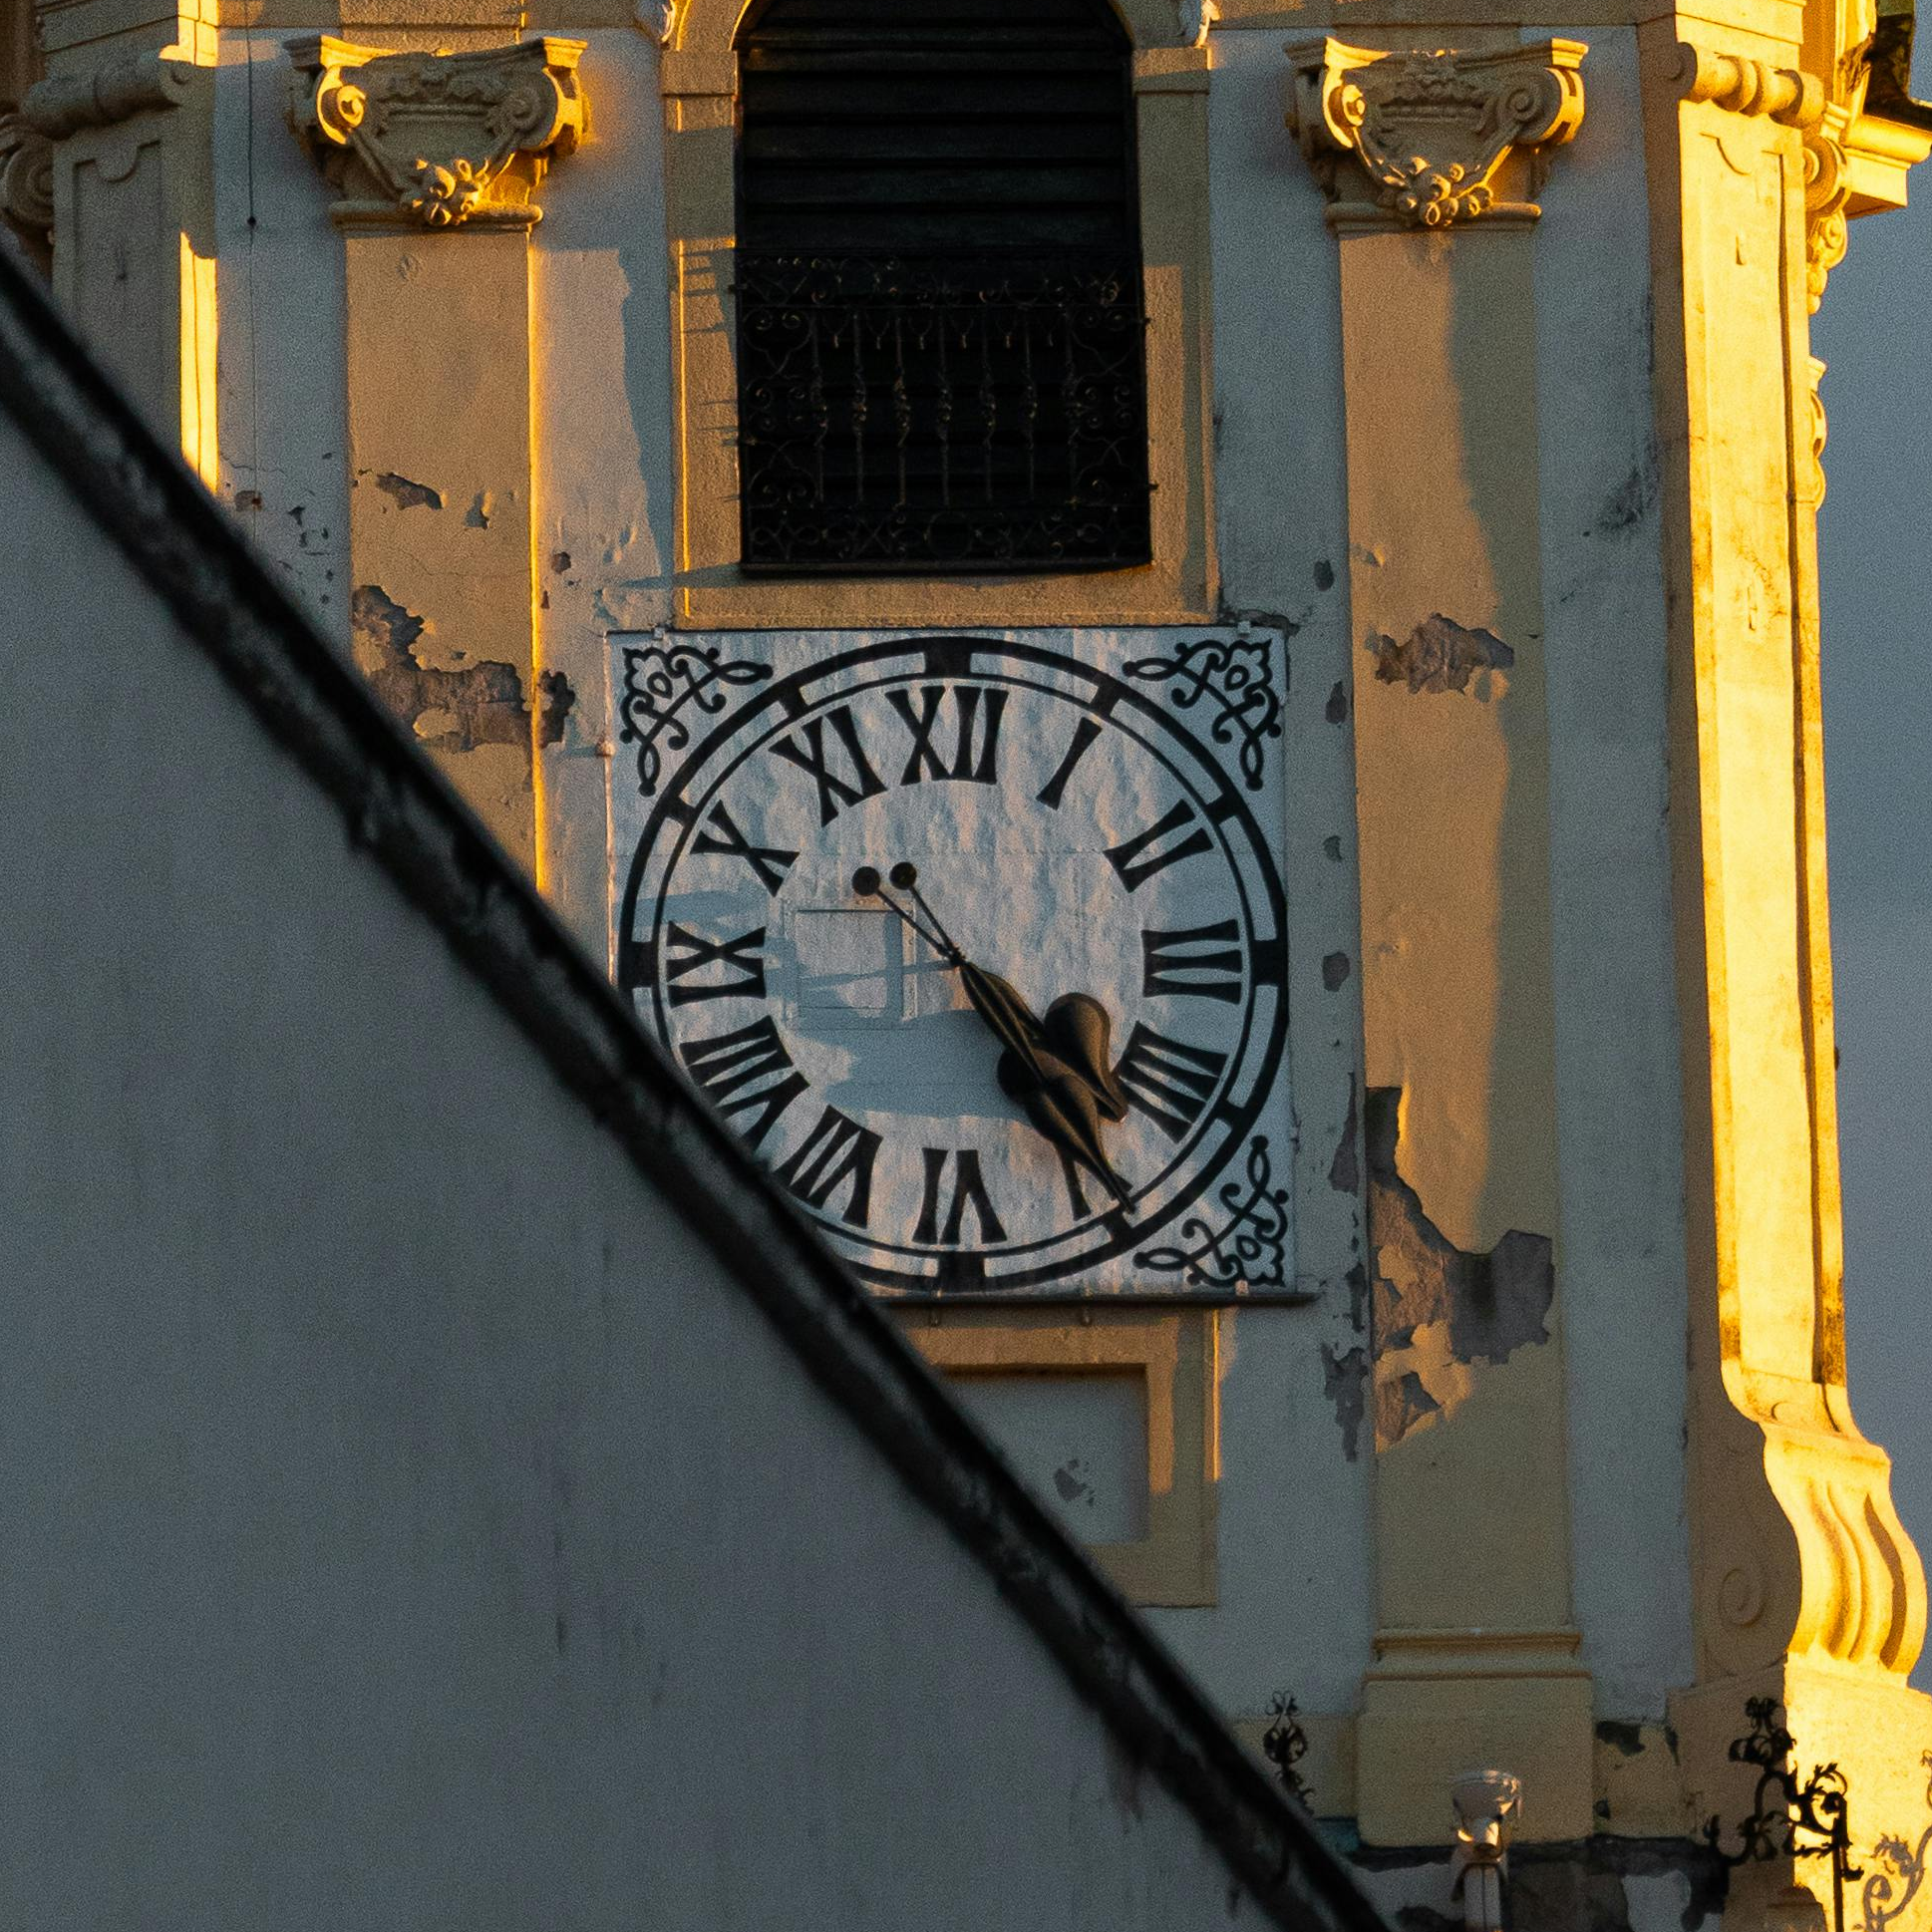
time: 4:23
